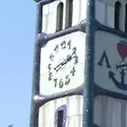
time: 8:12
